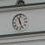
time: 11:26
